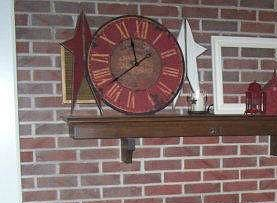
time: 11:37
